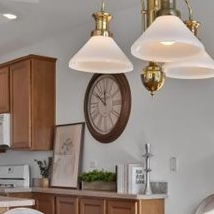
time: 11:50
